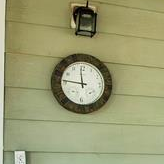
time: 11:46
